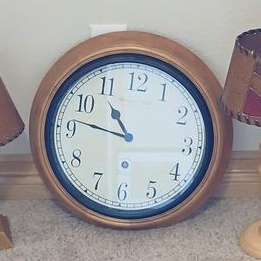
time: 10:46
